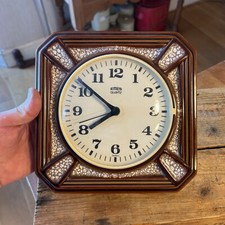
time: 7:51
